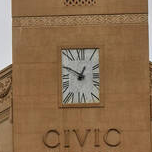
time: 12:49
